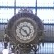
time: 4:50
